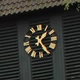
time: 1:24
